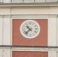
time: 10:37
